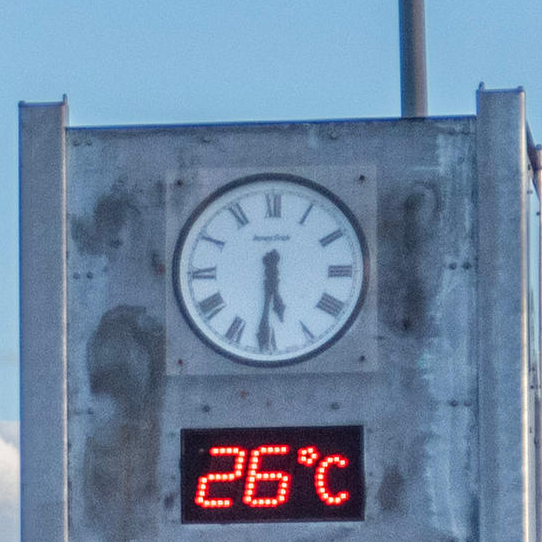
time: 5:31
